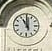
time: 11:00
